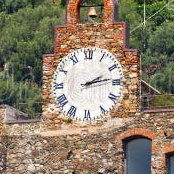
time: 2:13
